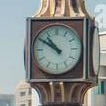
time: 10:50
